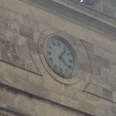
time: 4:06
